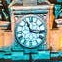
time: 11:16
